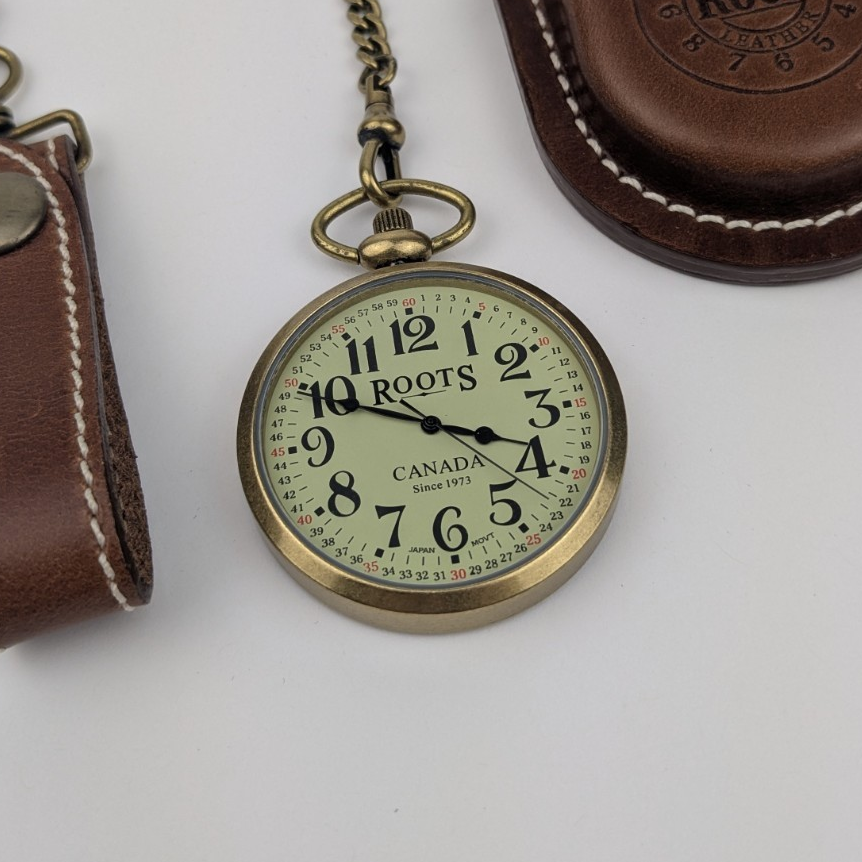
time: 3:49
